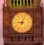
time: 9:04
